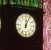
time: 12:04
